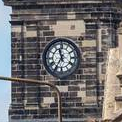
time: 11:35
